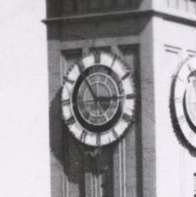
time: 2:54
